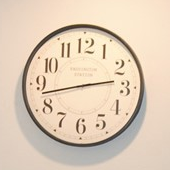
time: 2:42
